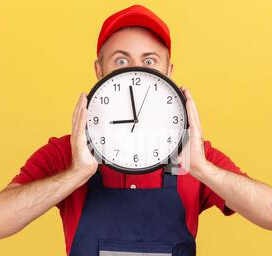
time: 8:58
